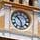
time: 10:28
